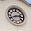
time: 2:40
